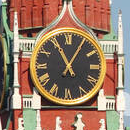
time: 11:05
